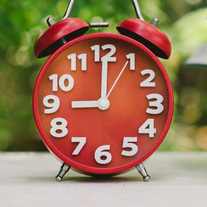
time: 9:00
